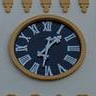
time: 1:32
